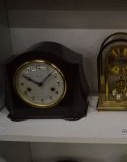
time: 10:07
